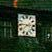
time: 2:46
